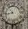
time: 10:42
